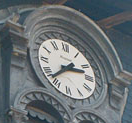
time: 2:37
